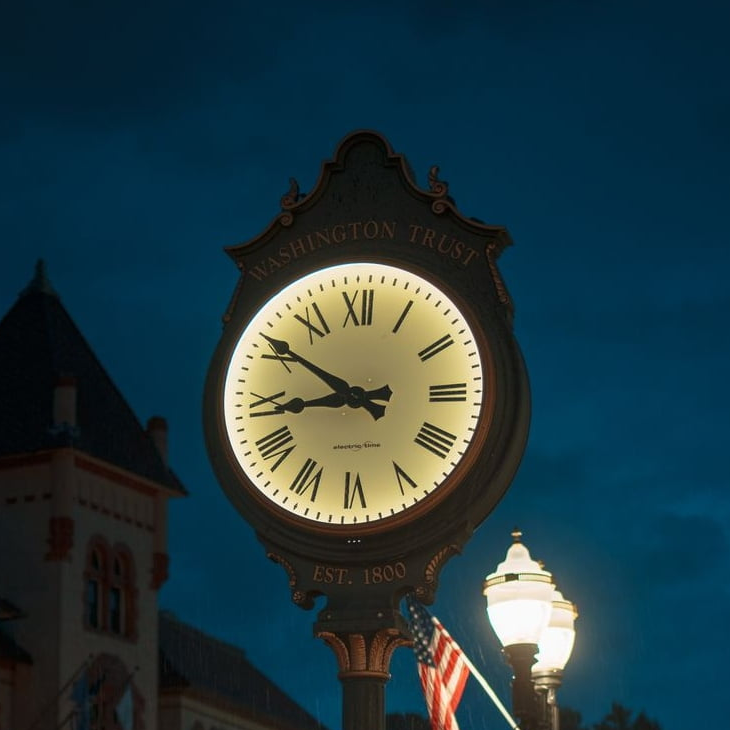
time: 8:50
